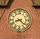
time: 8:22
